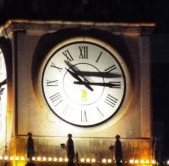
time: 10:14
